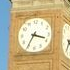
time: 3:35
